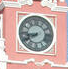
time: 8:40
